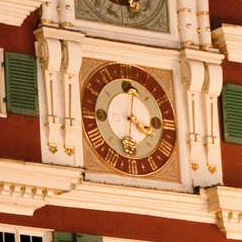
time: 4:01
